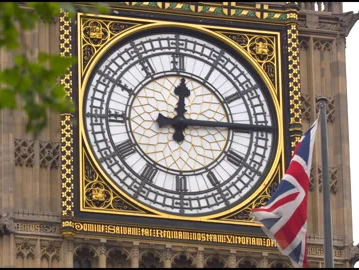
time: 12:14
